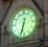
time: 6:32
